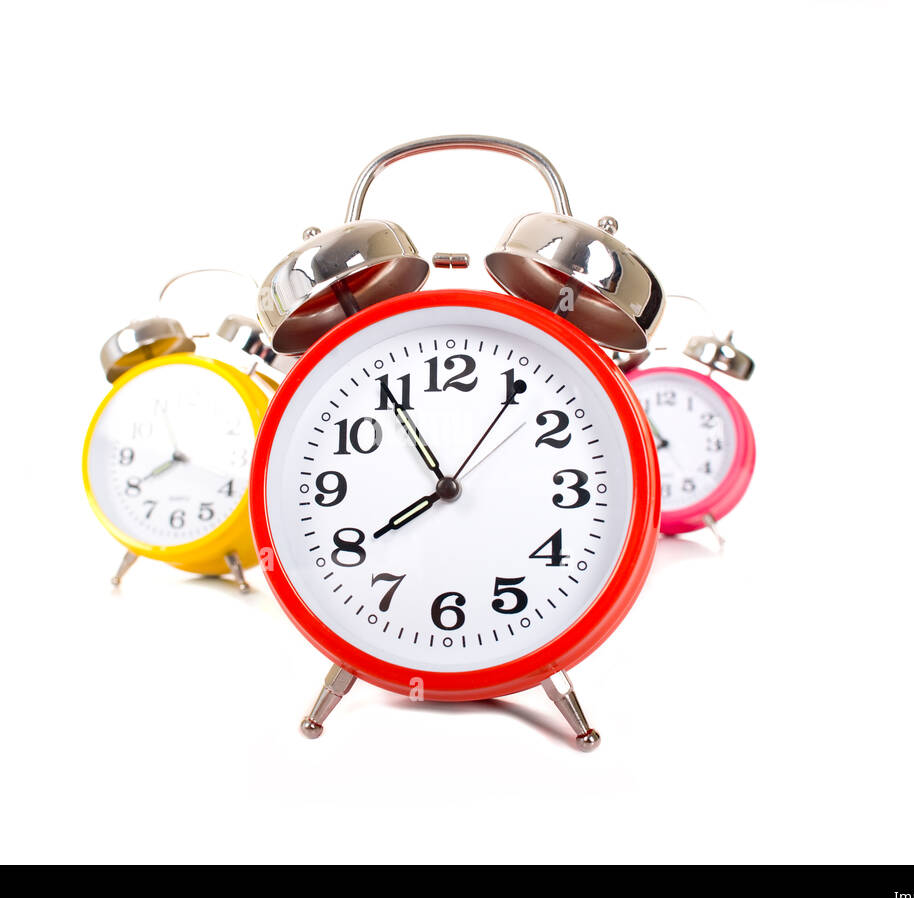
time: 7:54
